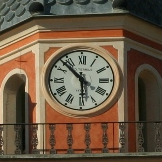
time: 5:52
